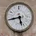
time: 5:42
